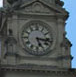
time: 5:16
